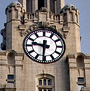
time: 9:31
